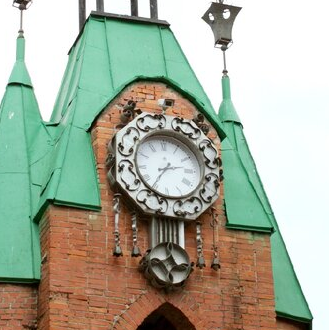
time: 2:36
